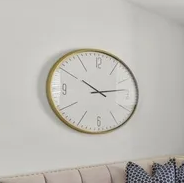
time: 10:13
